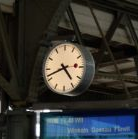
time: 4:42
